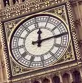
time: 12:14
